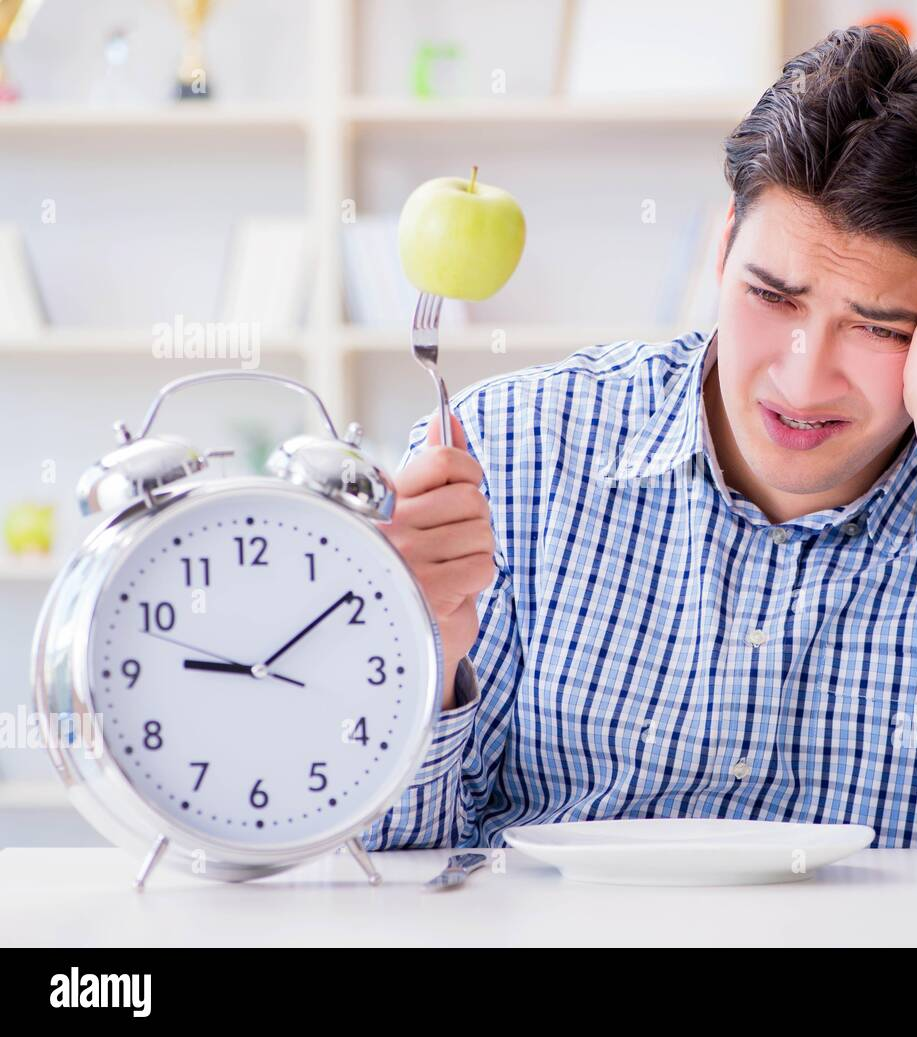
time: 9:09
